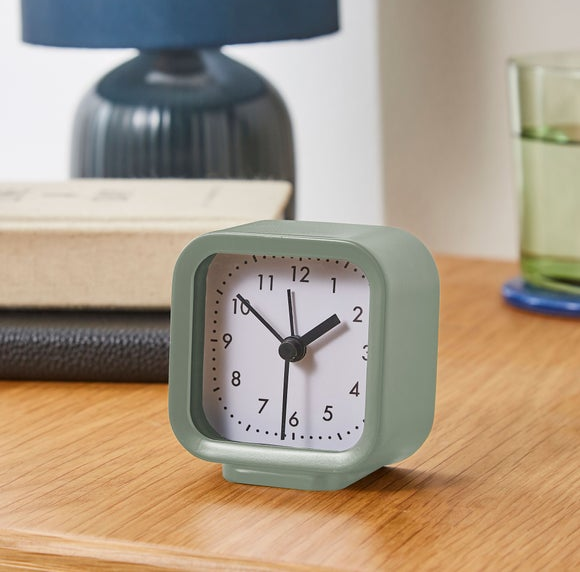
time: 1:51
